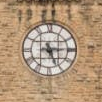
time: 5:14
